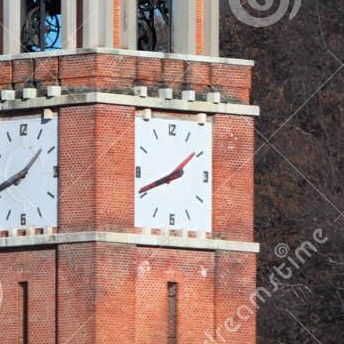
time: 1:41
